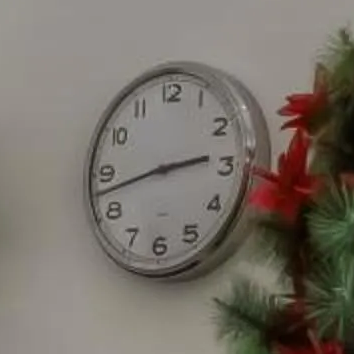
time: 2:42
